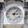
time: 3:07
